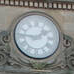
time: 1:46
